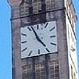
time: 4:56
